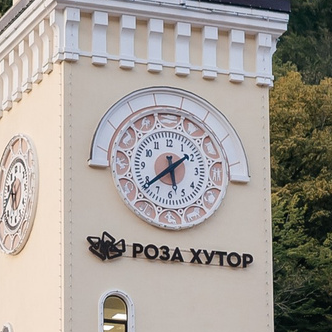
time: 5:38
